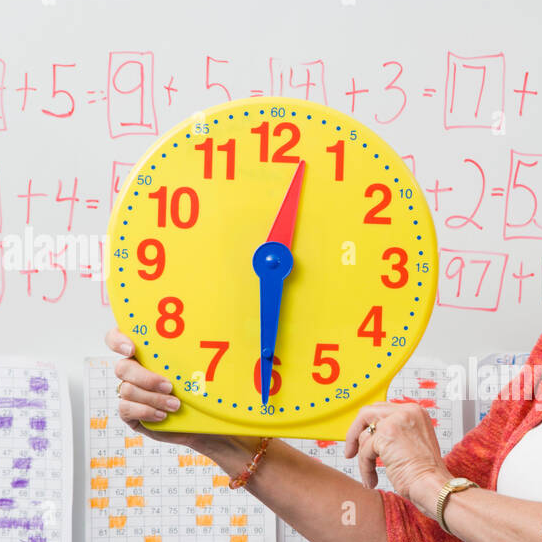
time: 12:30
